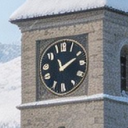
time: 11:10
